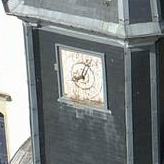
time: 8:04
